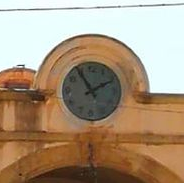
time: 1:54
